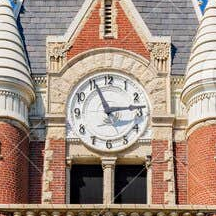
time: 11:13
